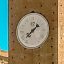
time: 1:37
